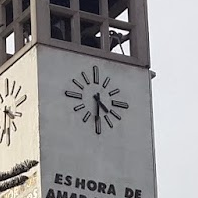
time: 4:30
